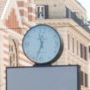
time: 11:33
